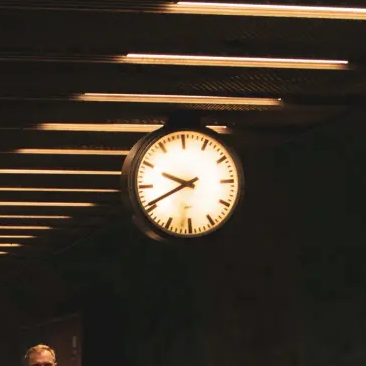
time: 9:41
